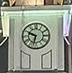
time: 9:32
